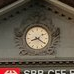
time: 8:20
